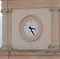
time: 3:24
